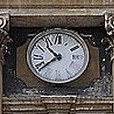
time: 10:38
